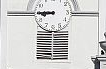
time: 8:45
